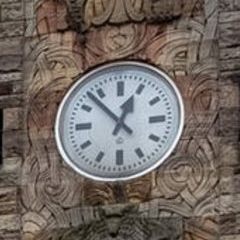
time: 12:52
